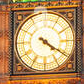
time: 4:20
